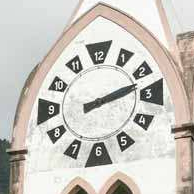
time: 2:12
